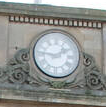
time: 1:46
